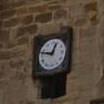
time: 12:47
